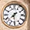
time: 7:30
